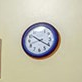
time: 10:20
